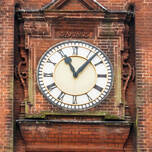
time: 11:07
